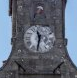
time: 11:32
